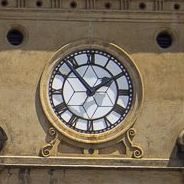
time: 1:53
